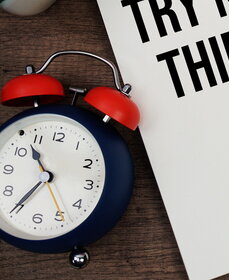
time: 10:35
